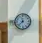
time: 11:37
